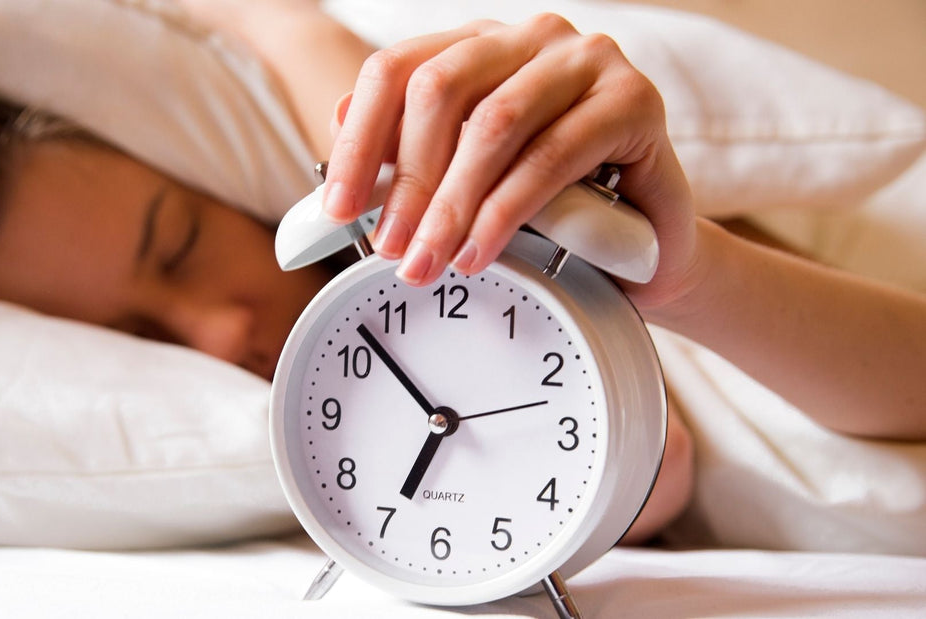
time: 6:52
